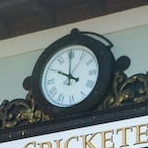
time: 10:00
